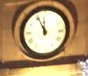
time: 11:55
